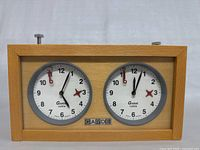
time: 5:03
